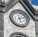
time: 5:11
